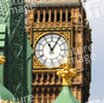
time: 11:05
